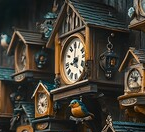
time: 9:01
